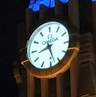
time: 8:27
